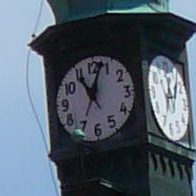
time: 11:02
